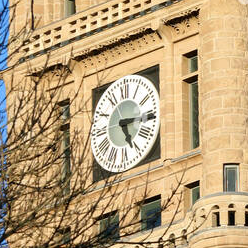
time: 5:15
